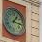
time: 1:16
